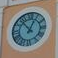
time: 12:53
